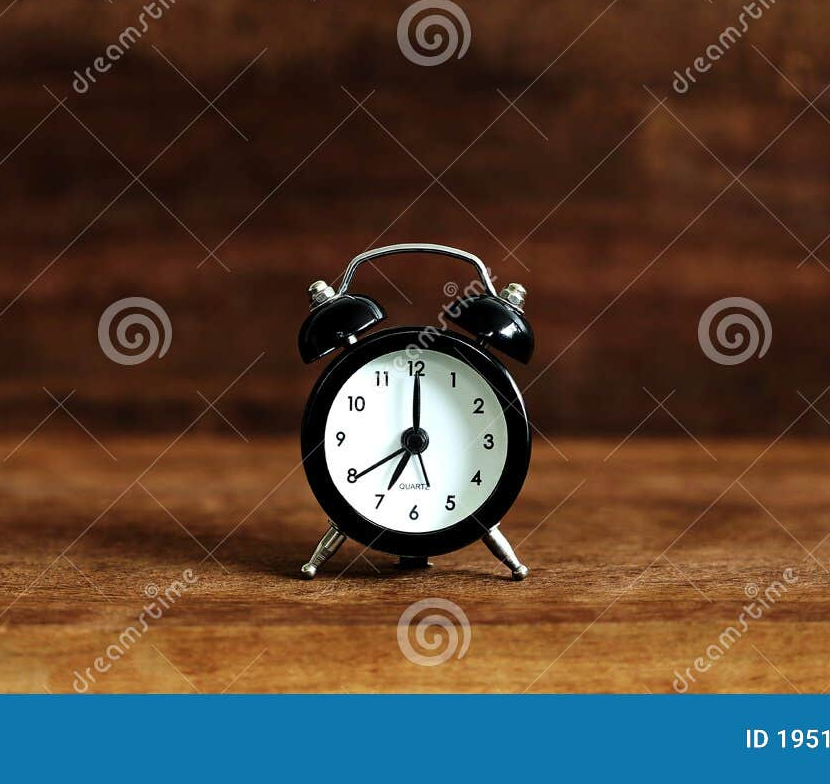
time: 7:00
